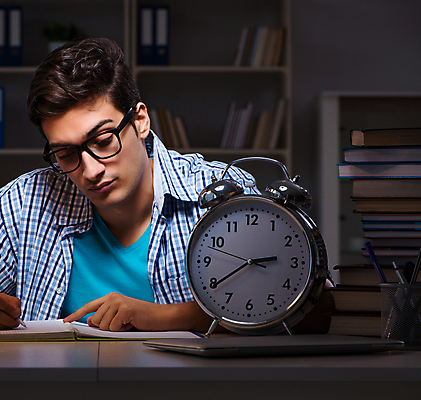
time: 2:39
